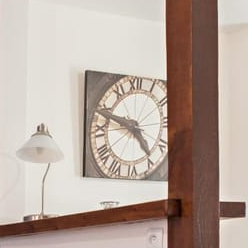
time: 4:48
